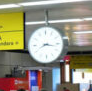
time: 8:16
